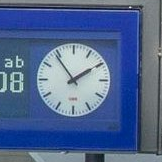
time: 1:54
